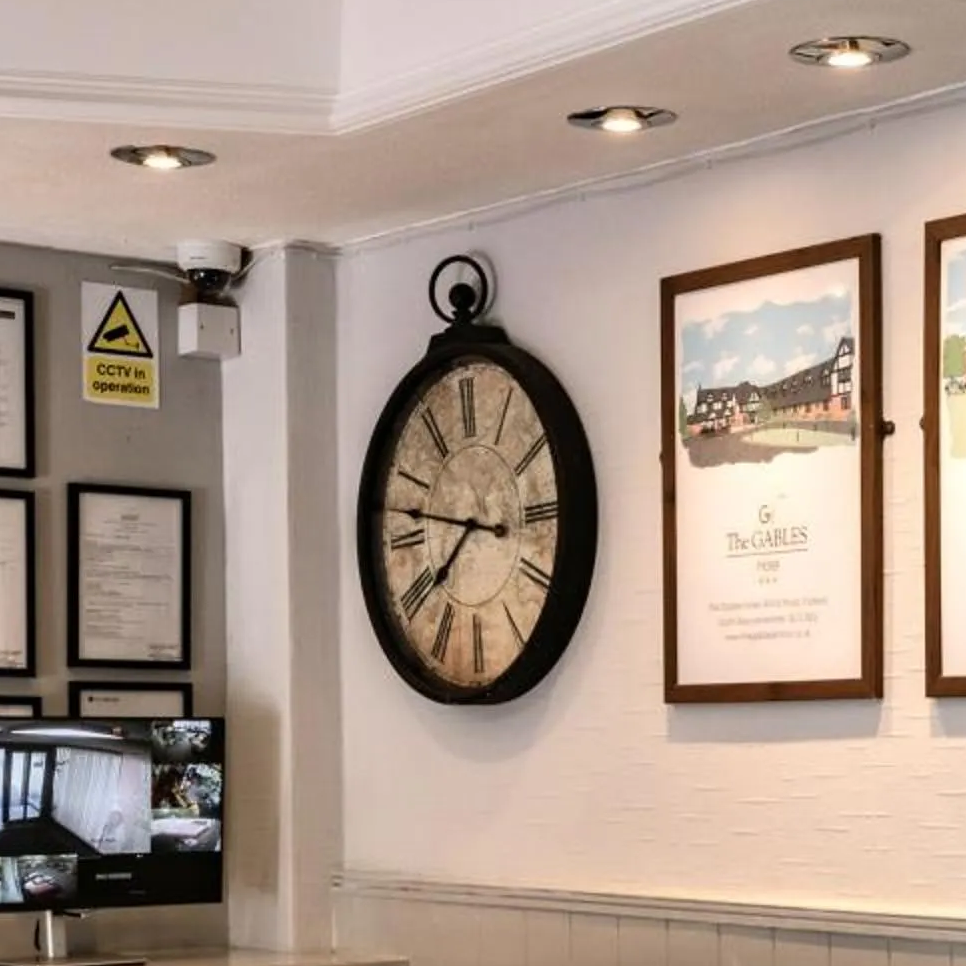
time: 7:46
